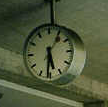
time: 5:31
